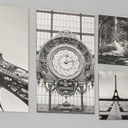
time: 12:12
